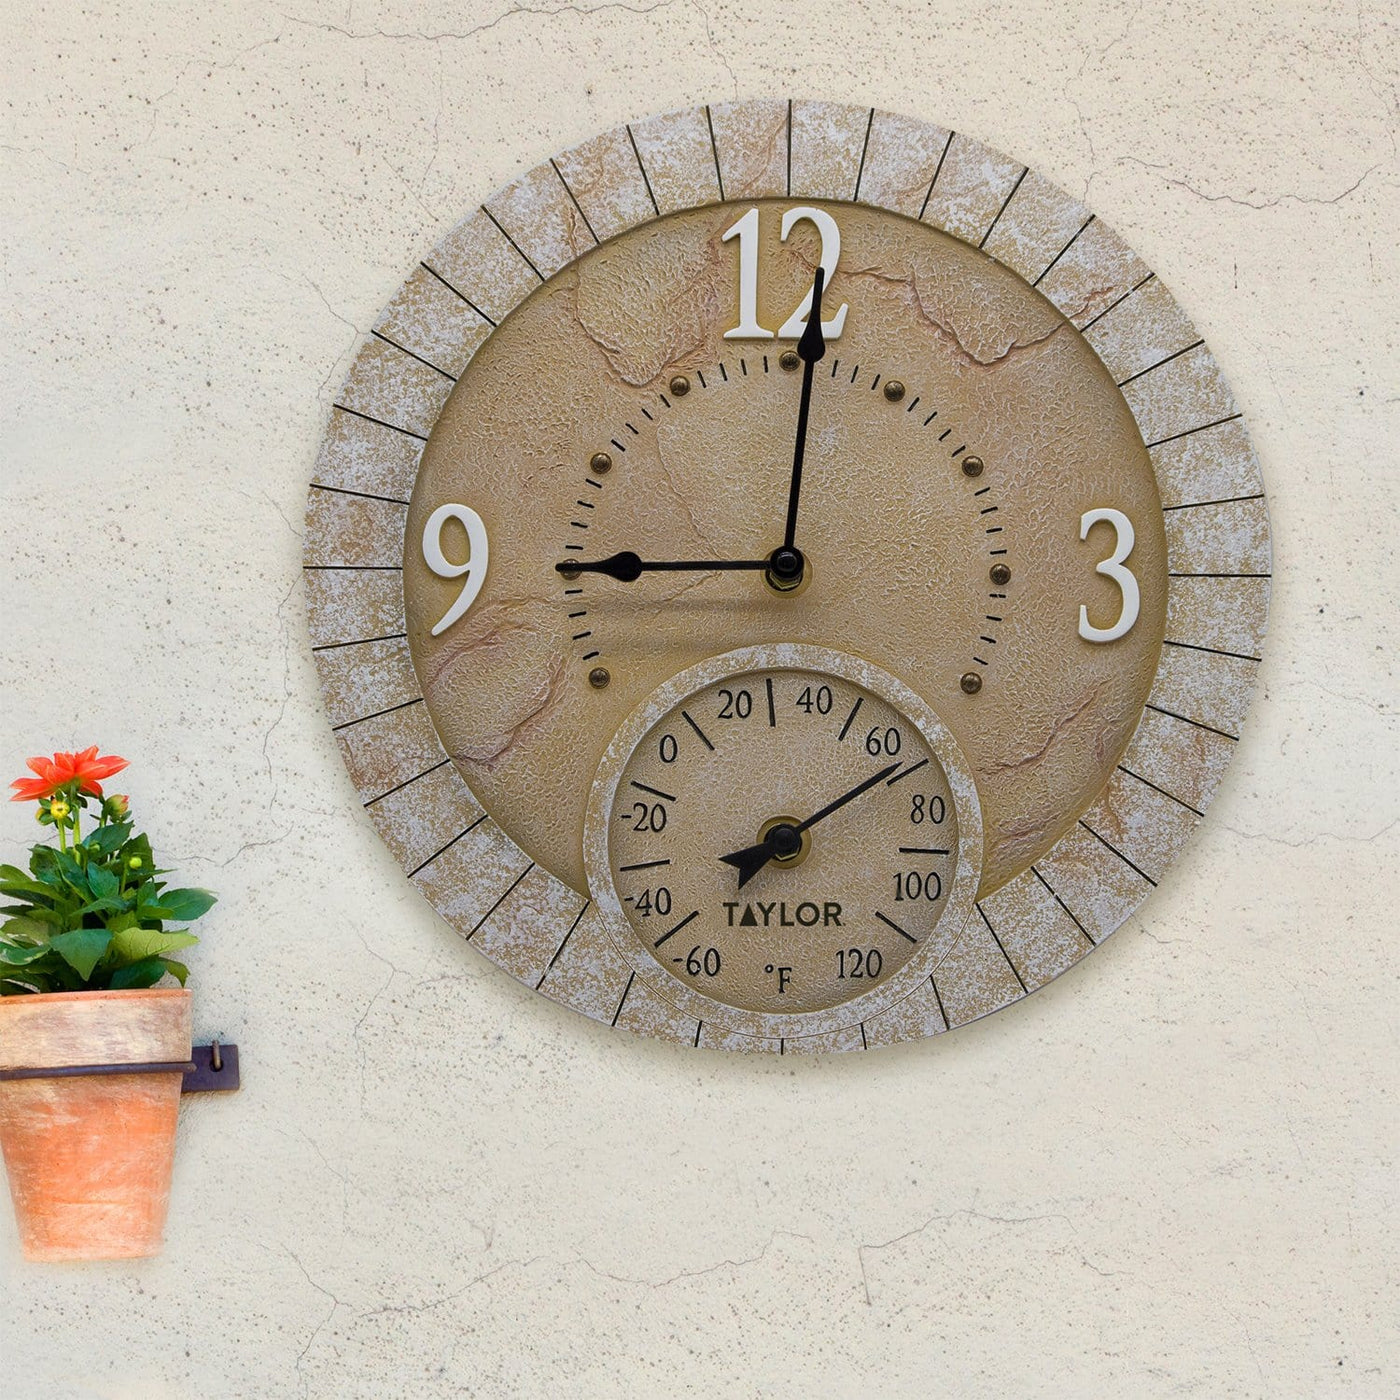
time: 9:01
